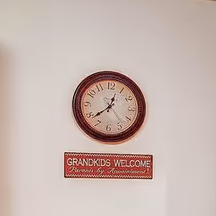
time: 12:38
